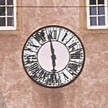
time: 5:58
